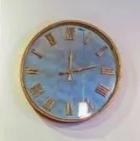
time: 12:12
